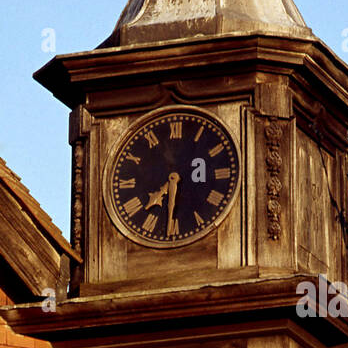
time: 7:31
